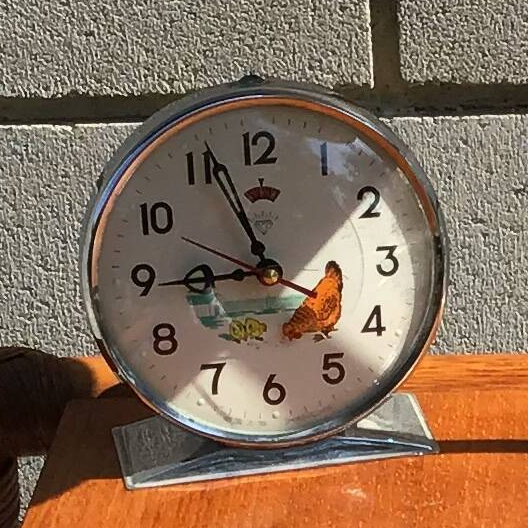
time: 8:56
